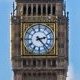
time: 2:23
